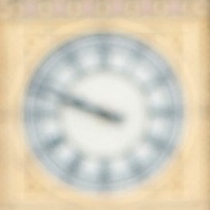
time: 9:48
